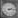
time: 2:14
